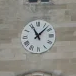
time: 11:07
